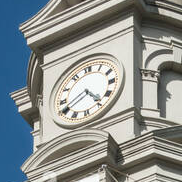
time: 4:40
